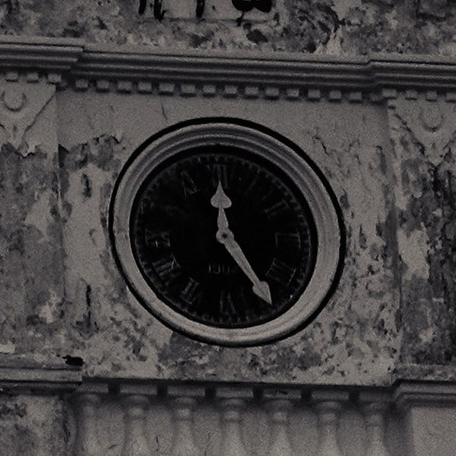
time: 12:24
